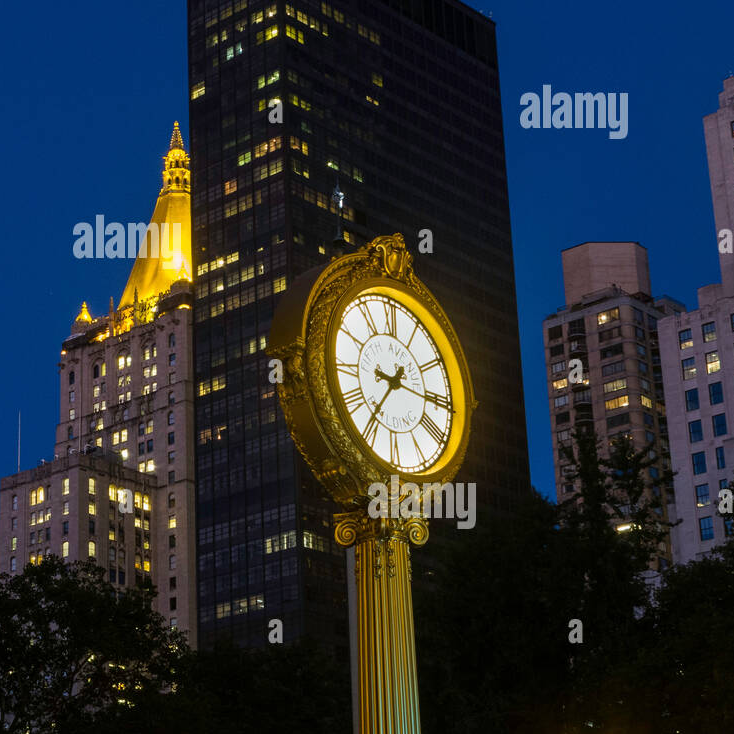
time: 7:15
